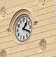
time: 1:18
